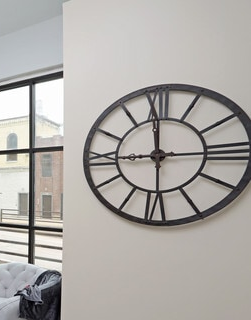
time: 8:59
